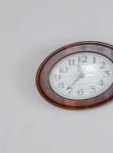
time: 11:36
